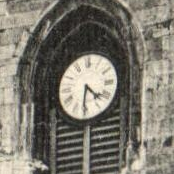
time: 4:31
